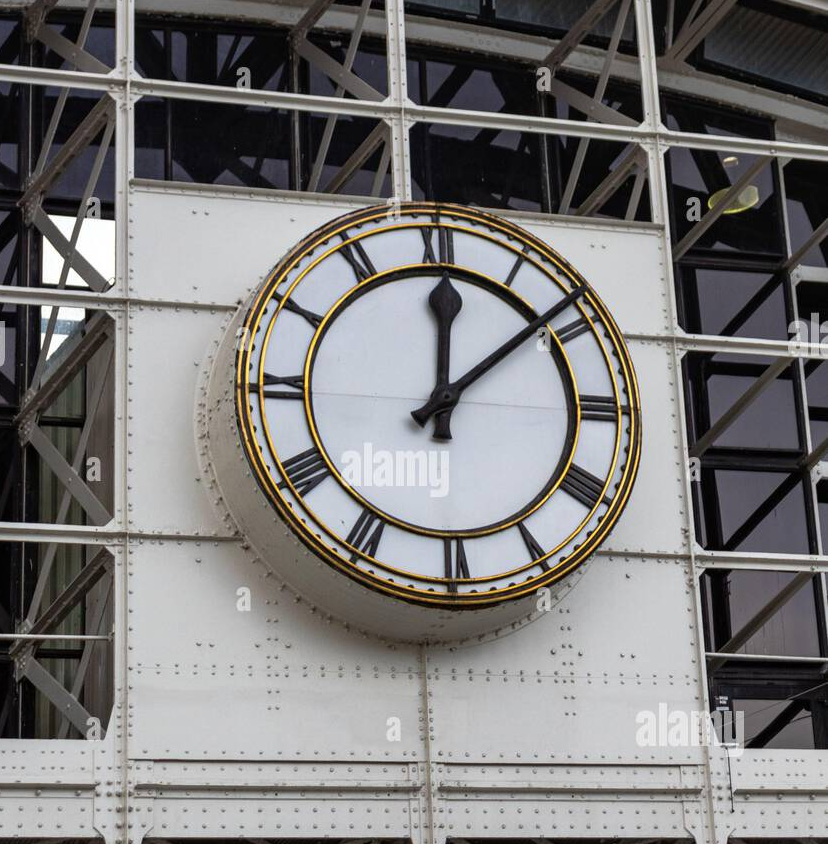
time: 12:08
